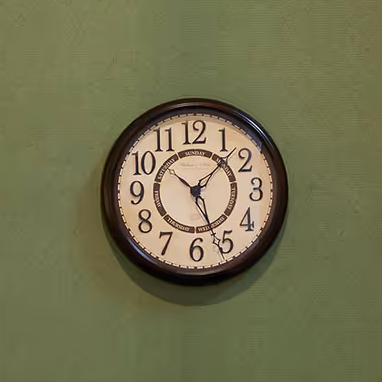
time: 1:26
